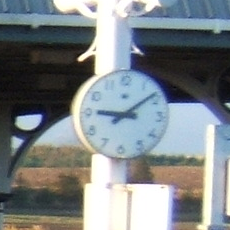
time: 9:08
